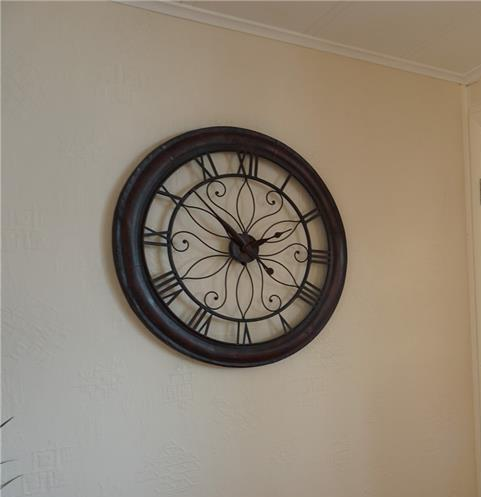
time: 1:52
